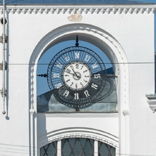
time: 10:48
